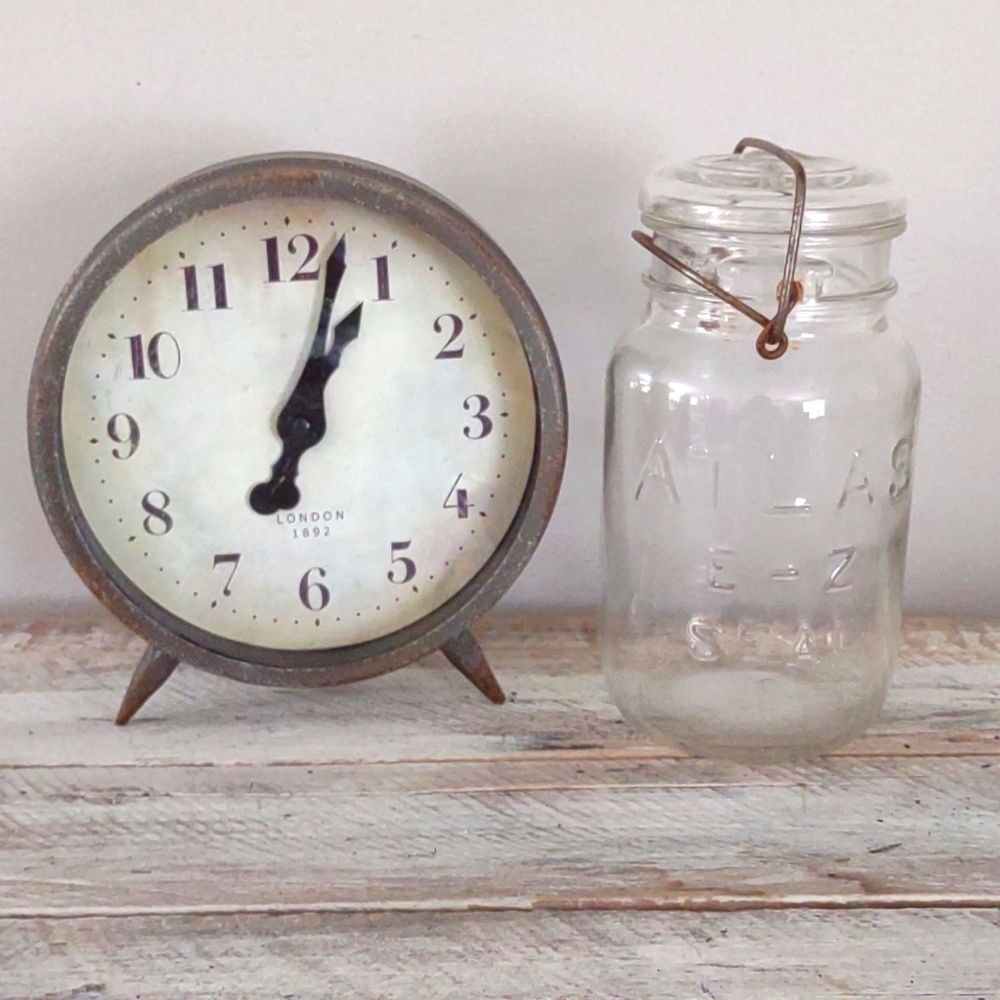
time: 7:02
